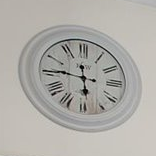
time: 5:45
